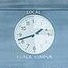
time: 1:42
